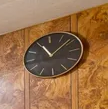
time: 11:08
